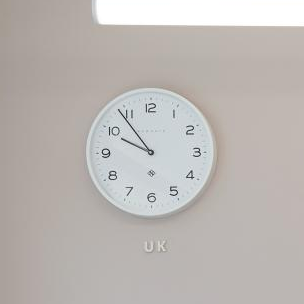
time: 9:53
